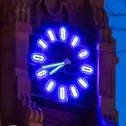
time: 7:42
